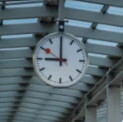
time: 8:59
